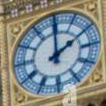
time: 2:00
